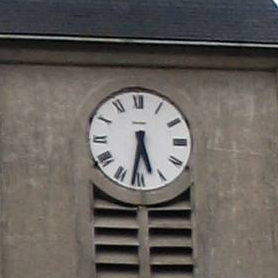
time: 5:31
